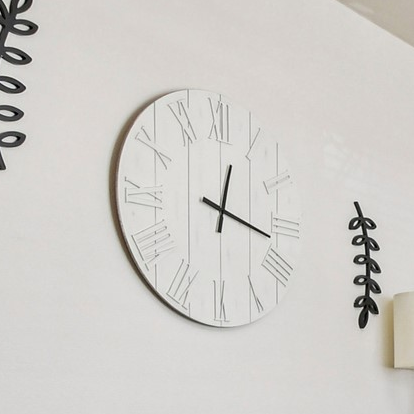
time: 12:17
